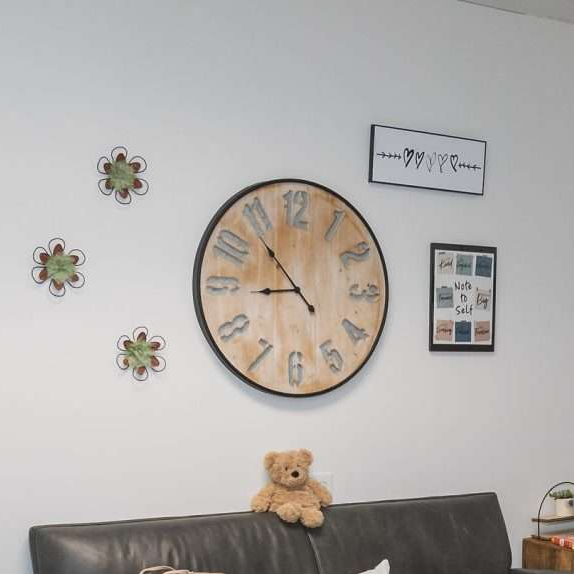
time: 8:53
